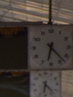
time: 6:23
